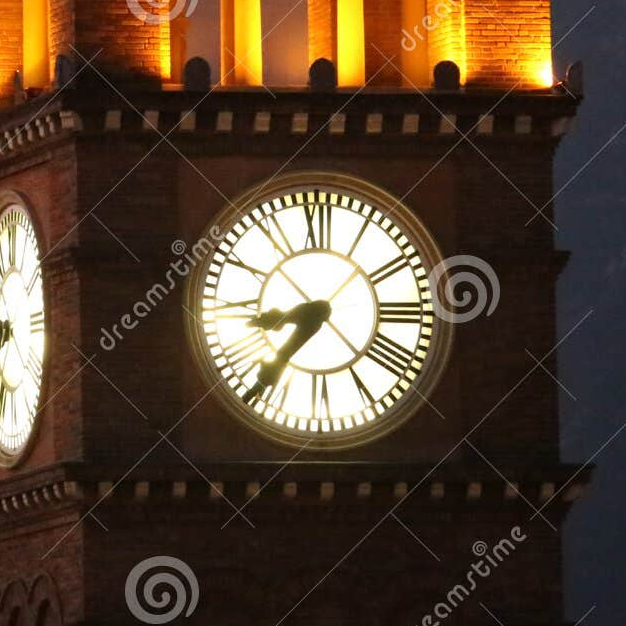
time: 8:36
